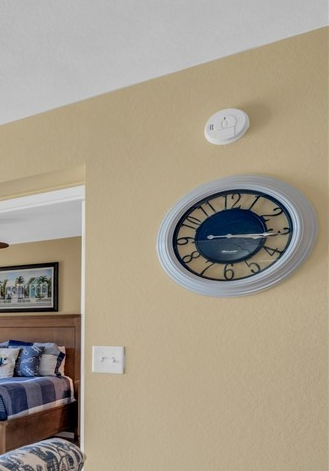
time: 3:15
